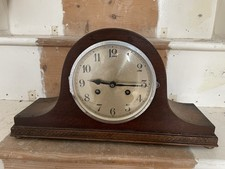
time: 9:15
